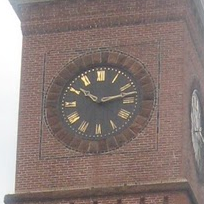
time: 10:12
